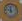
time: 11:46
